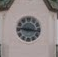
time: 9:16
